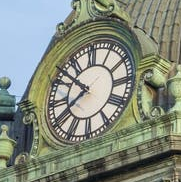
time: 7:51
